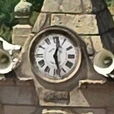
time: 12:27
